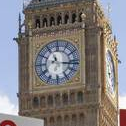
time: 11:16
